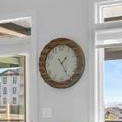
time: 1:24
